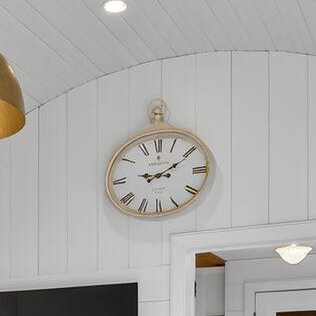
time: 9:10
